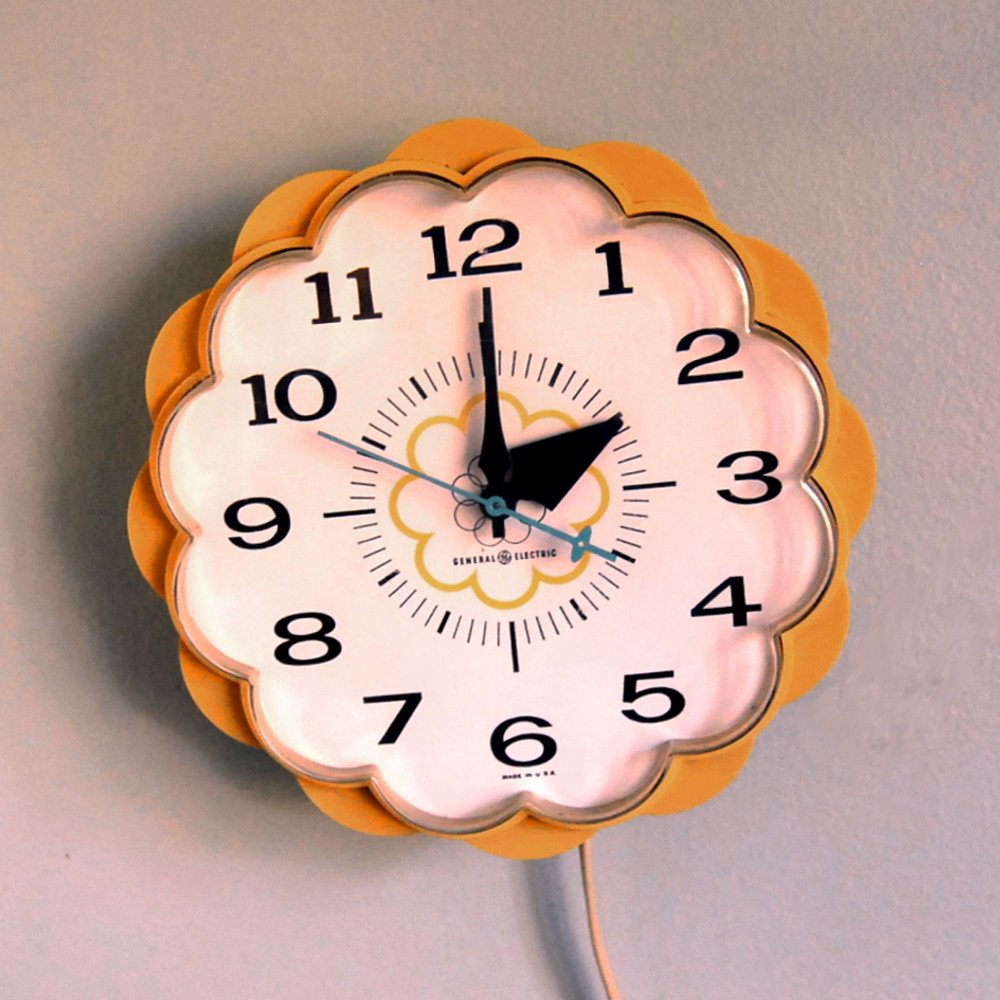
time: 2:00
